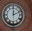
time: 12:11
